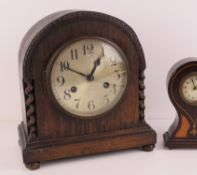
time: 12:49
